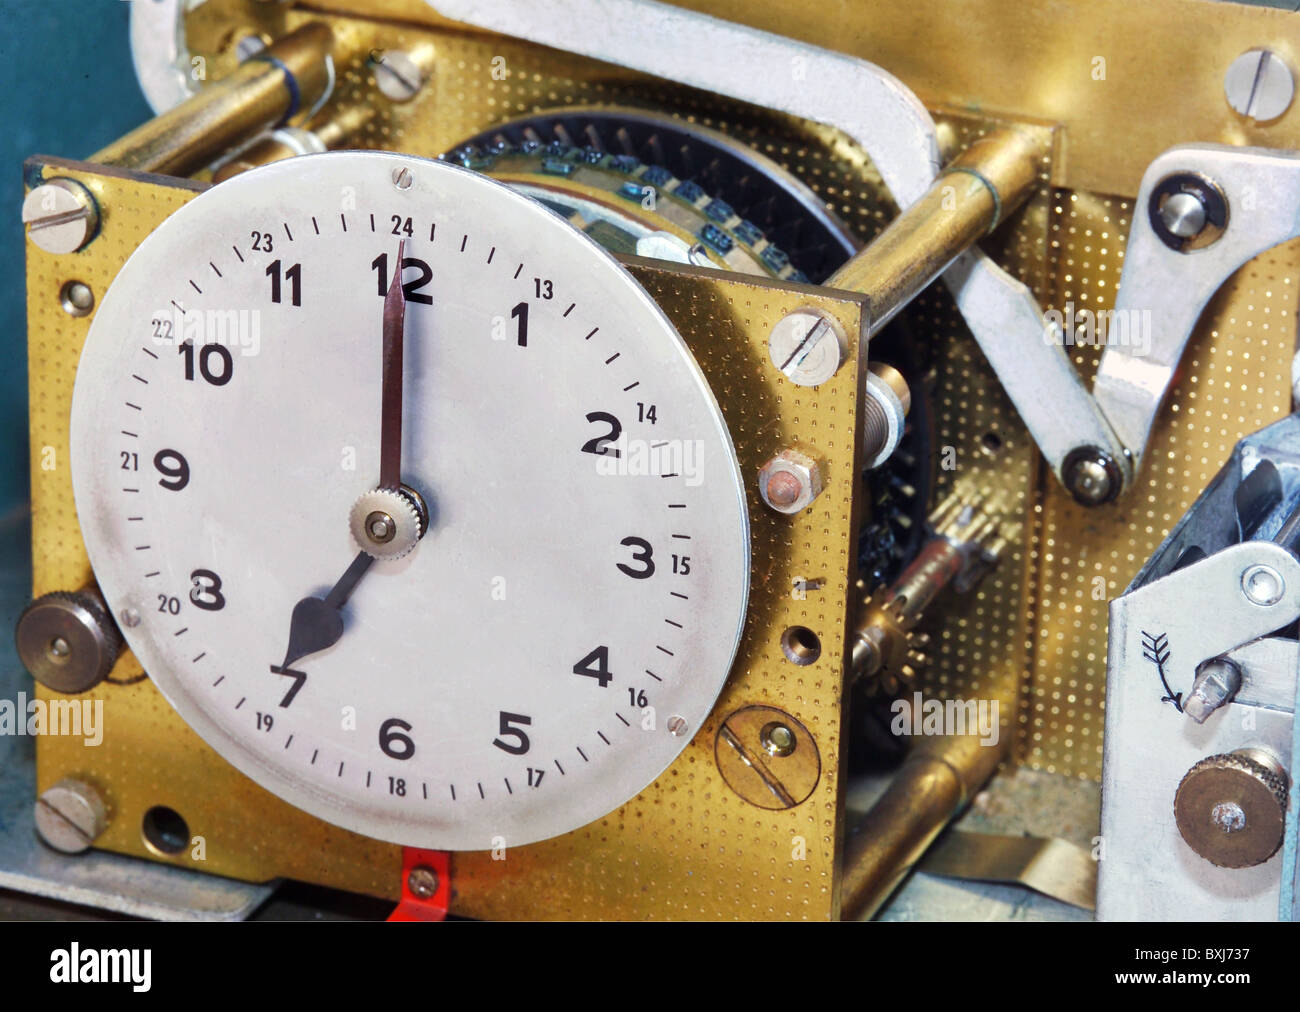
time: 7:00
